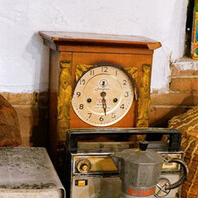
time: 3:28
